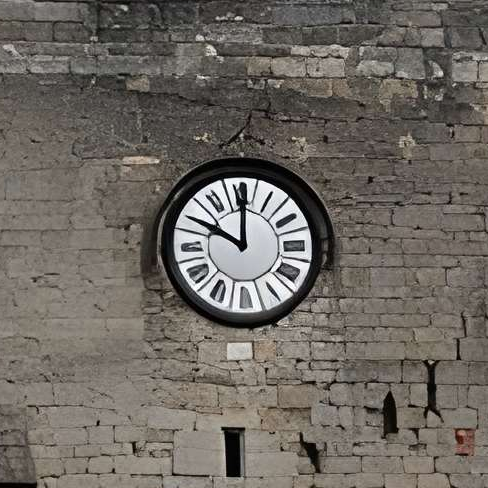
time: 10:00
